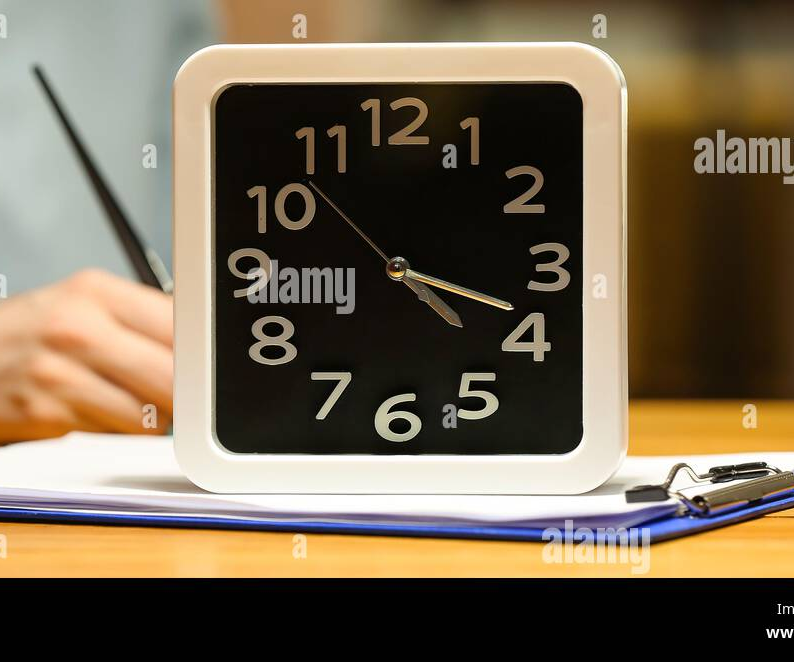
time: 4:18
